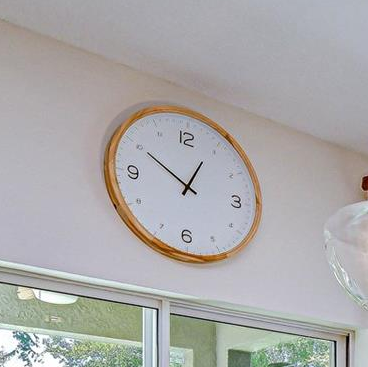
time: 12:50
